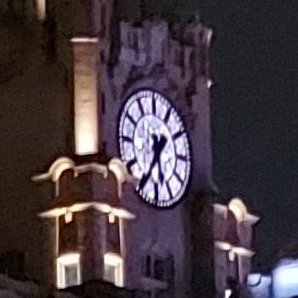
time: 5:35
